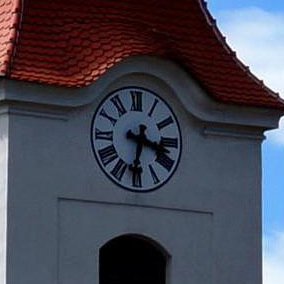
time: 3:31
